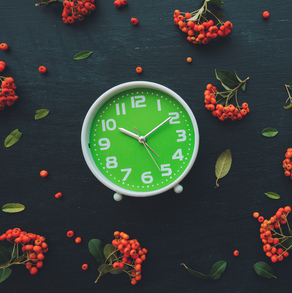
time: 10:09
